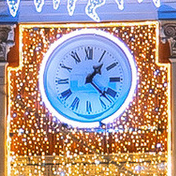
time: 1:22
